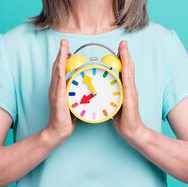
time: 7:55
